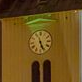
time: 5:26
